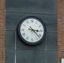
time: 3:22
